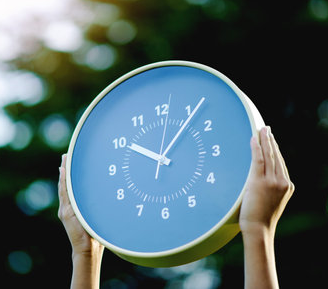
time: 10:06
